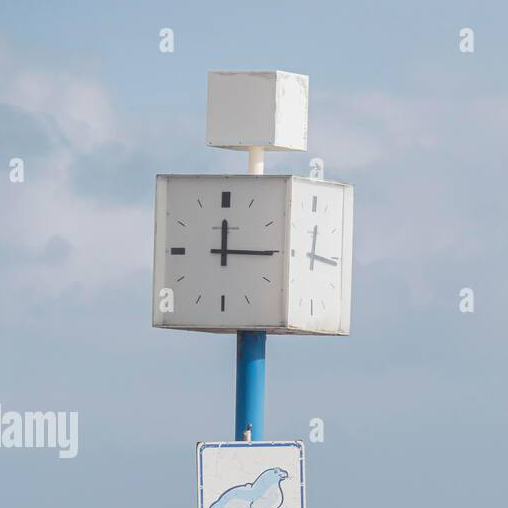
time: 12:15
